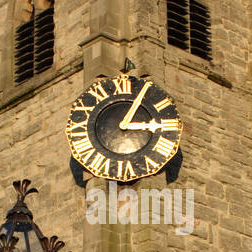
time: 3:04
